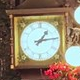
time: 1:13
